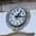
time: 1:16
